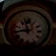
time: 11:42
